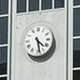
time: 4:28
